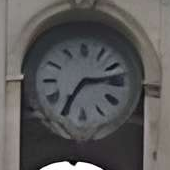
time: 2:35
